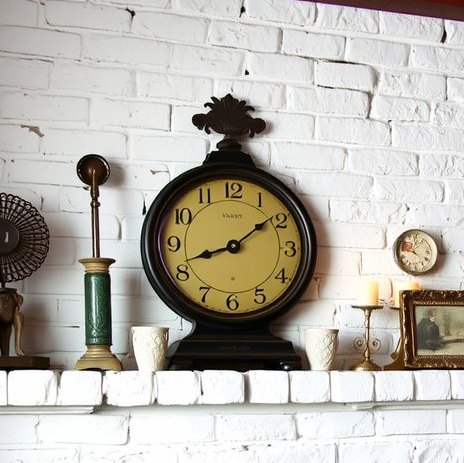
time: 8:09
